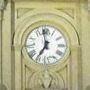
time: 6:58
